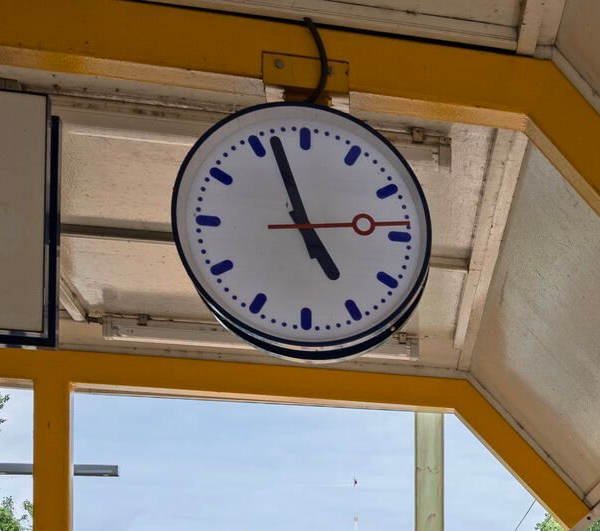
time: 4:57
